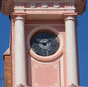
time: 1:46
